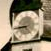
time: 8:43
